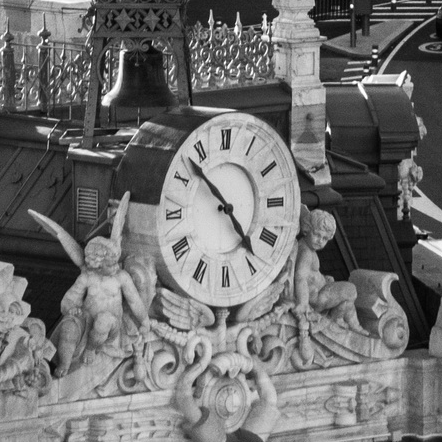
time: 4:52
